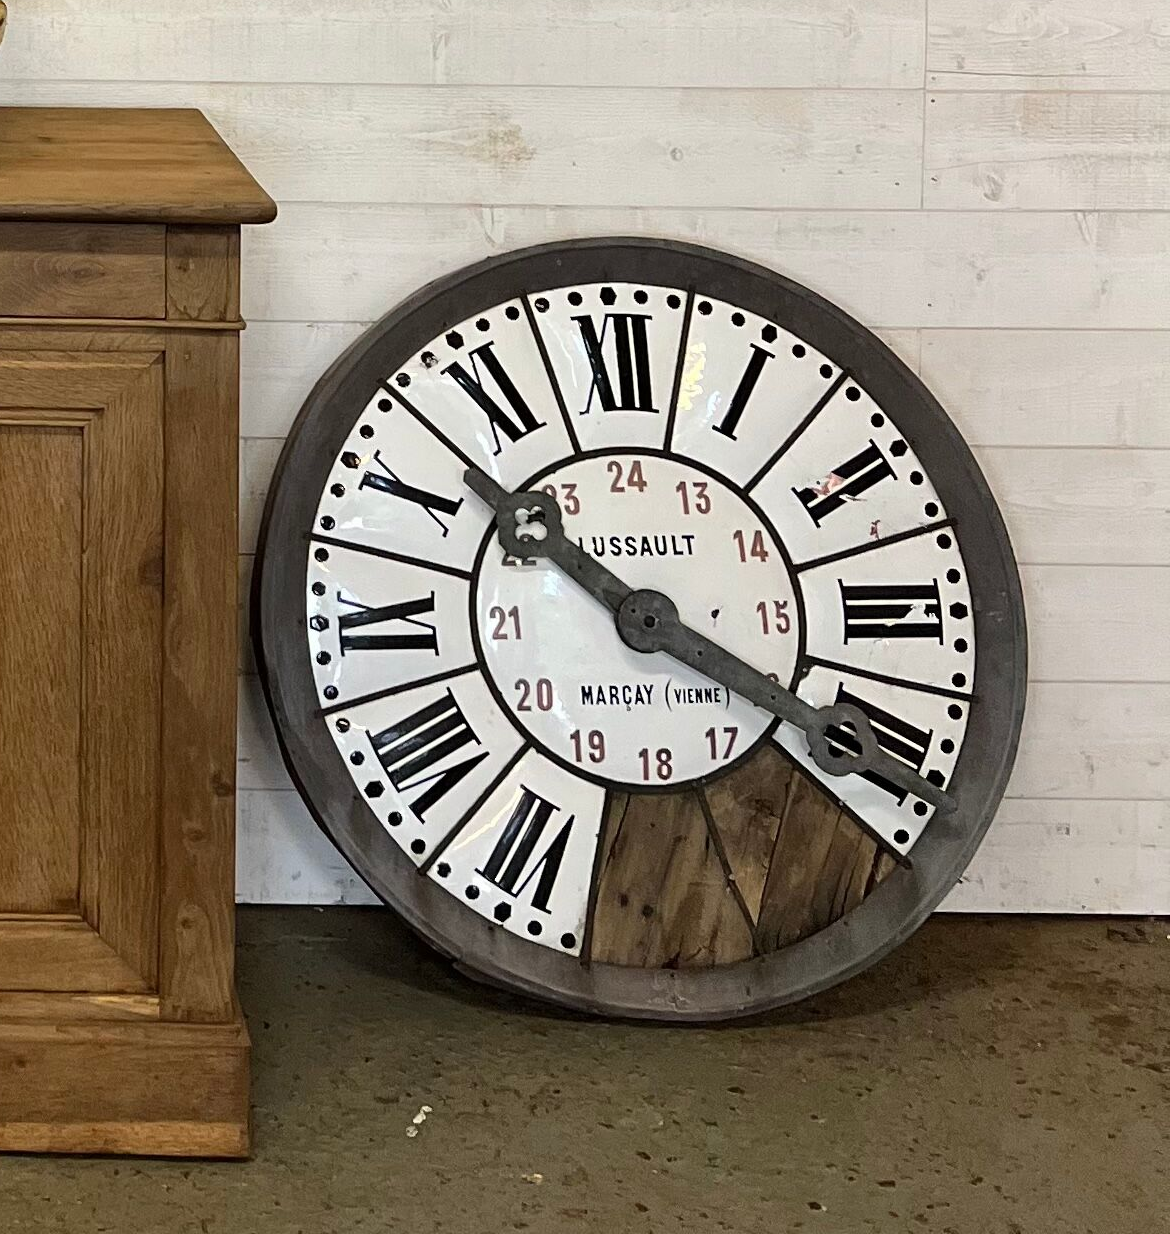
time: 10:19
